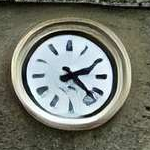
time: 2:22
